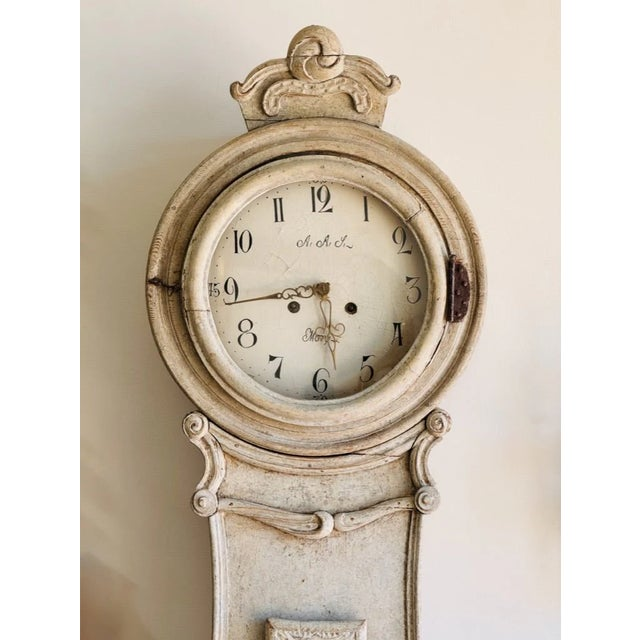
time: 5:44
